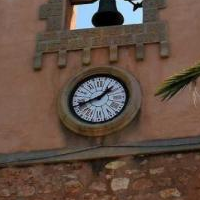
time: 1:42
